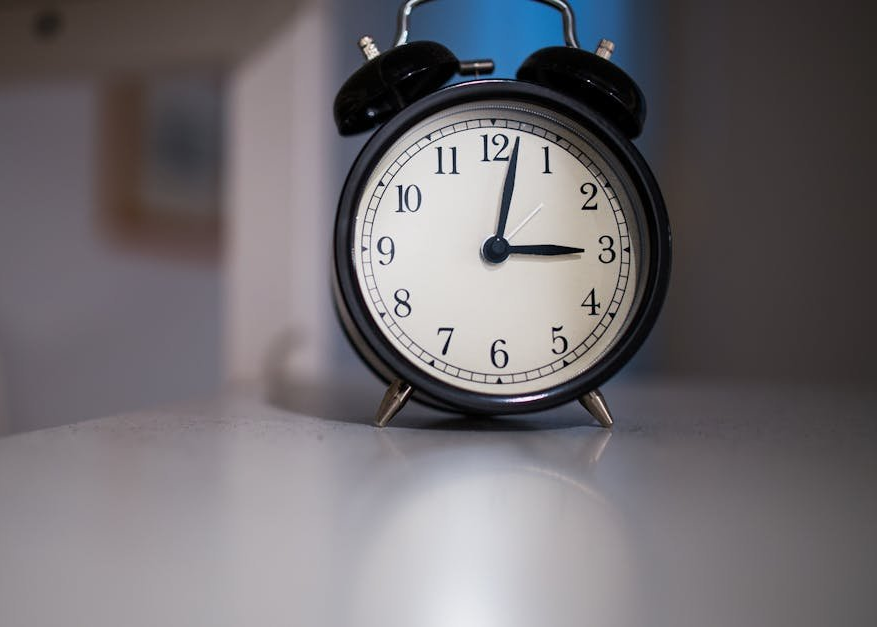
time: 3:02
